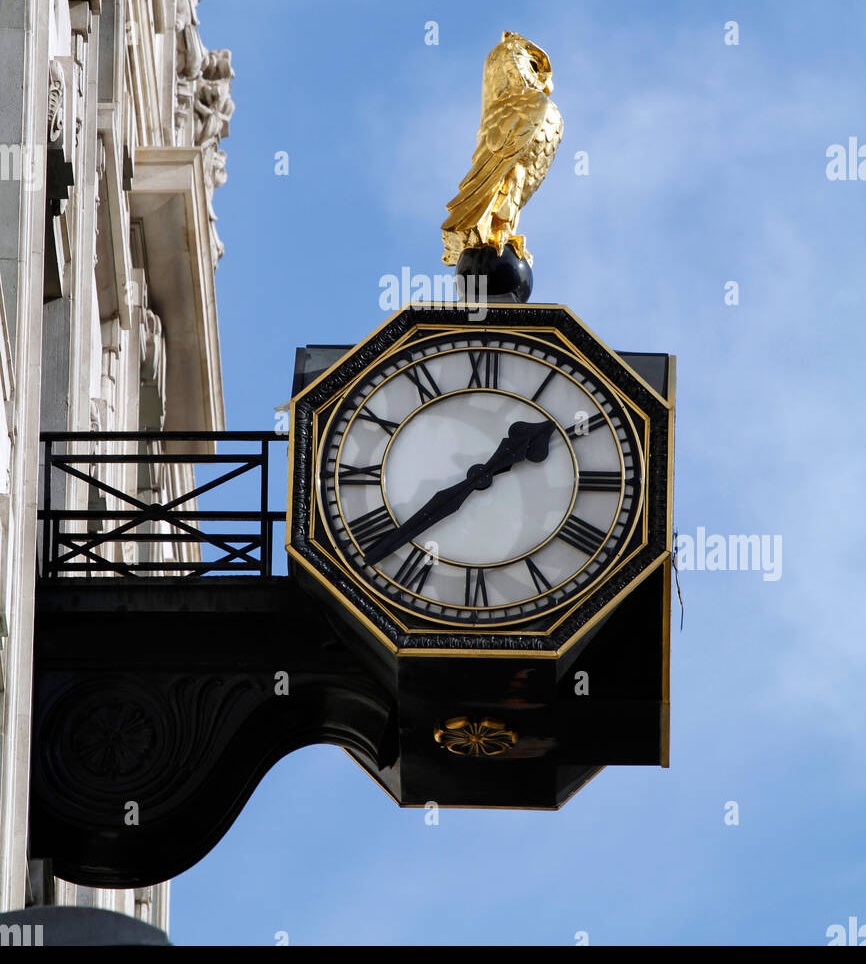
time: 1:37
